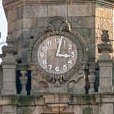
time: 3:02
